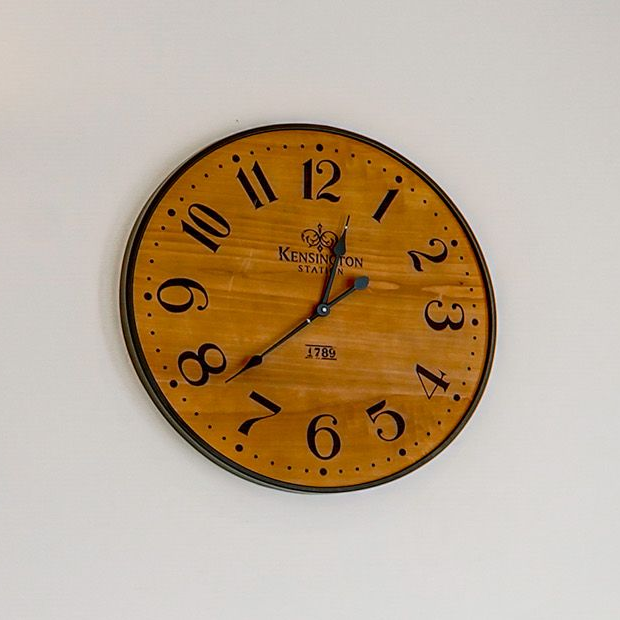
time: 12:37
